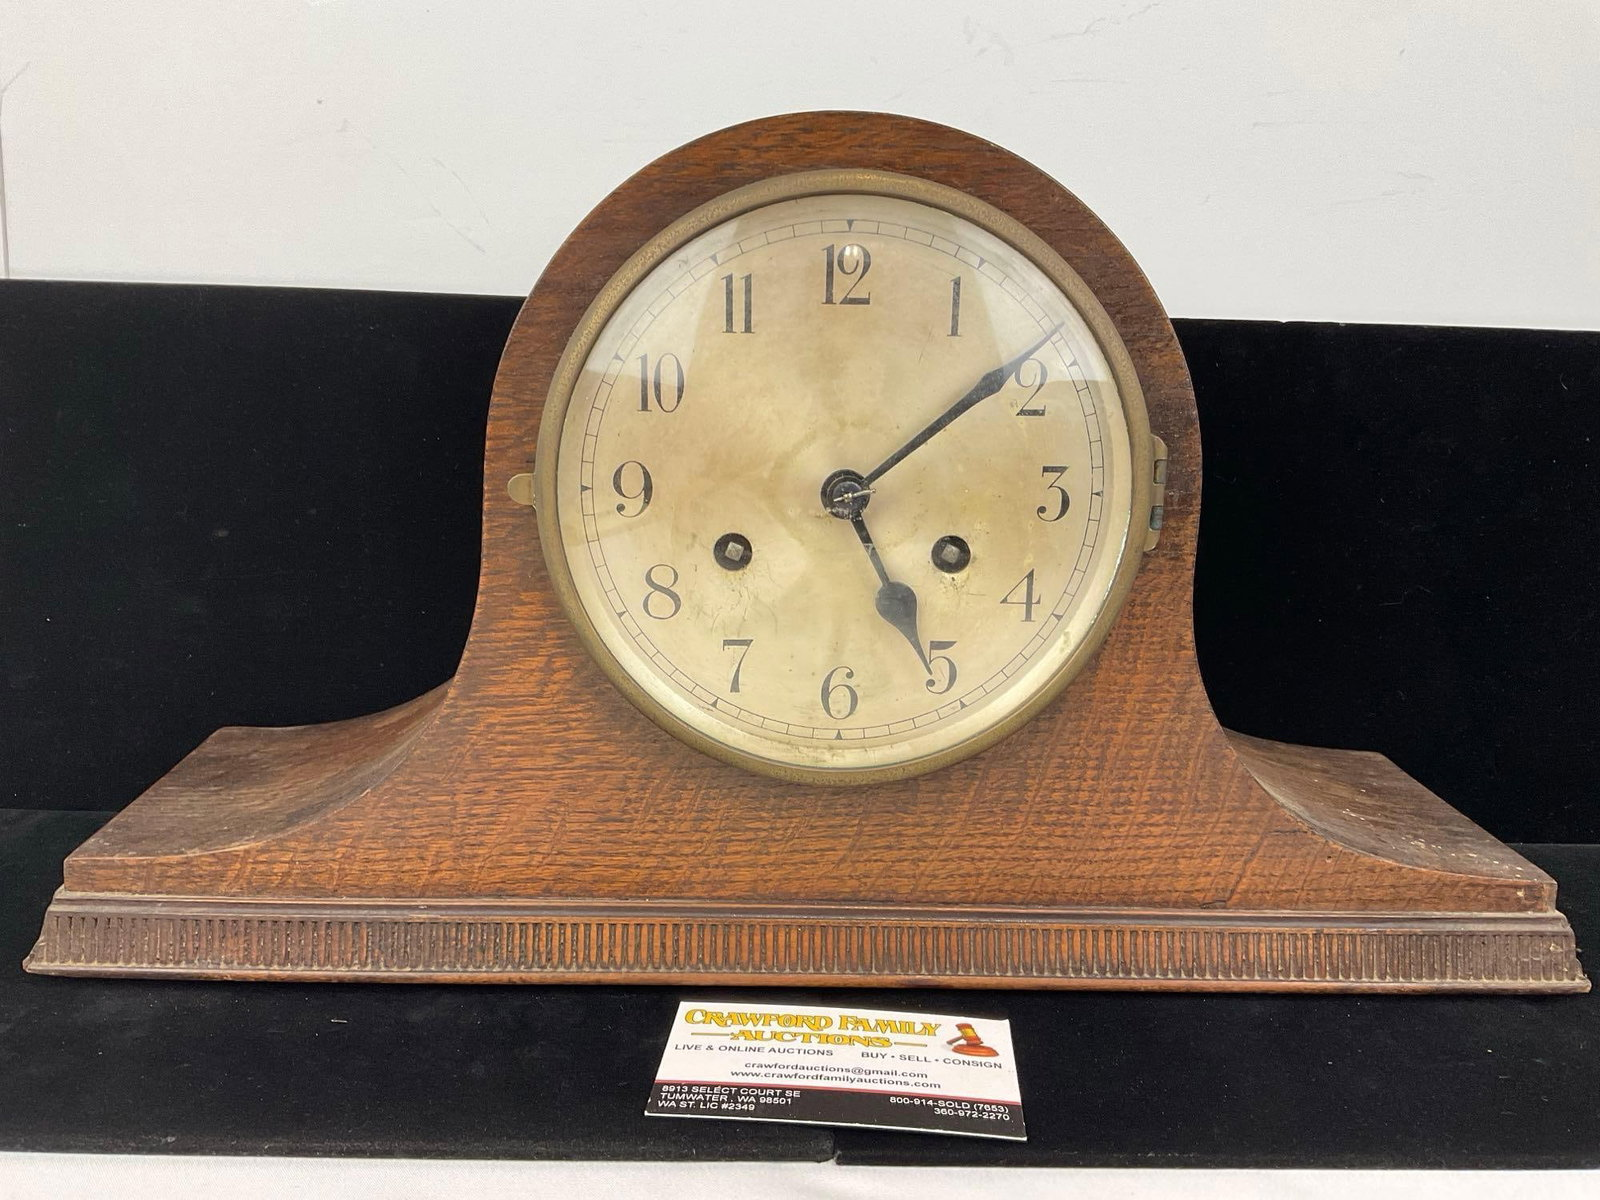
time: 5:08
